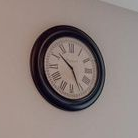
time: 10:25
